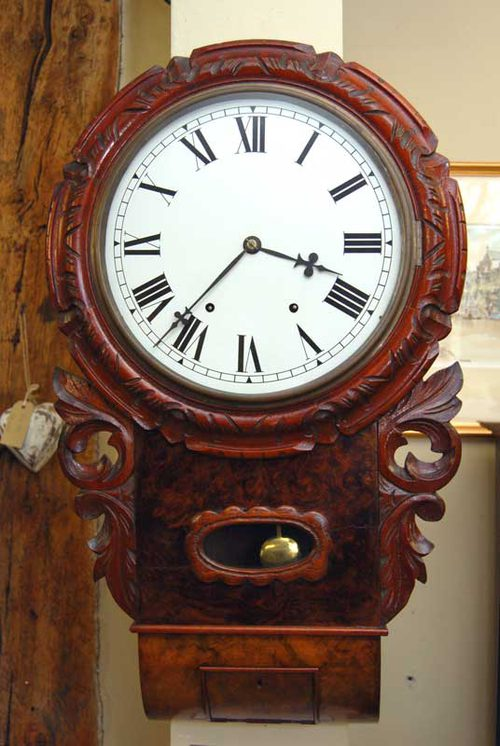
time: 3:36
